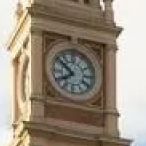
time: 7:51
